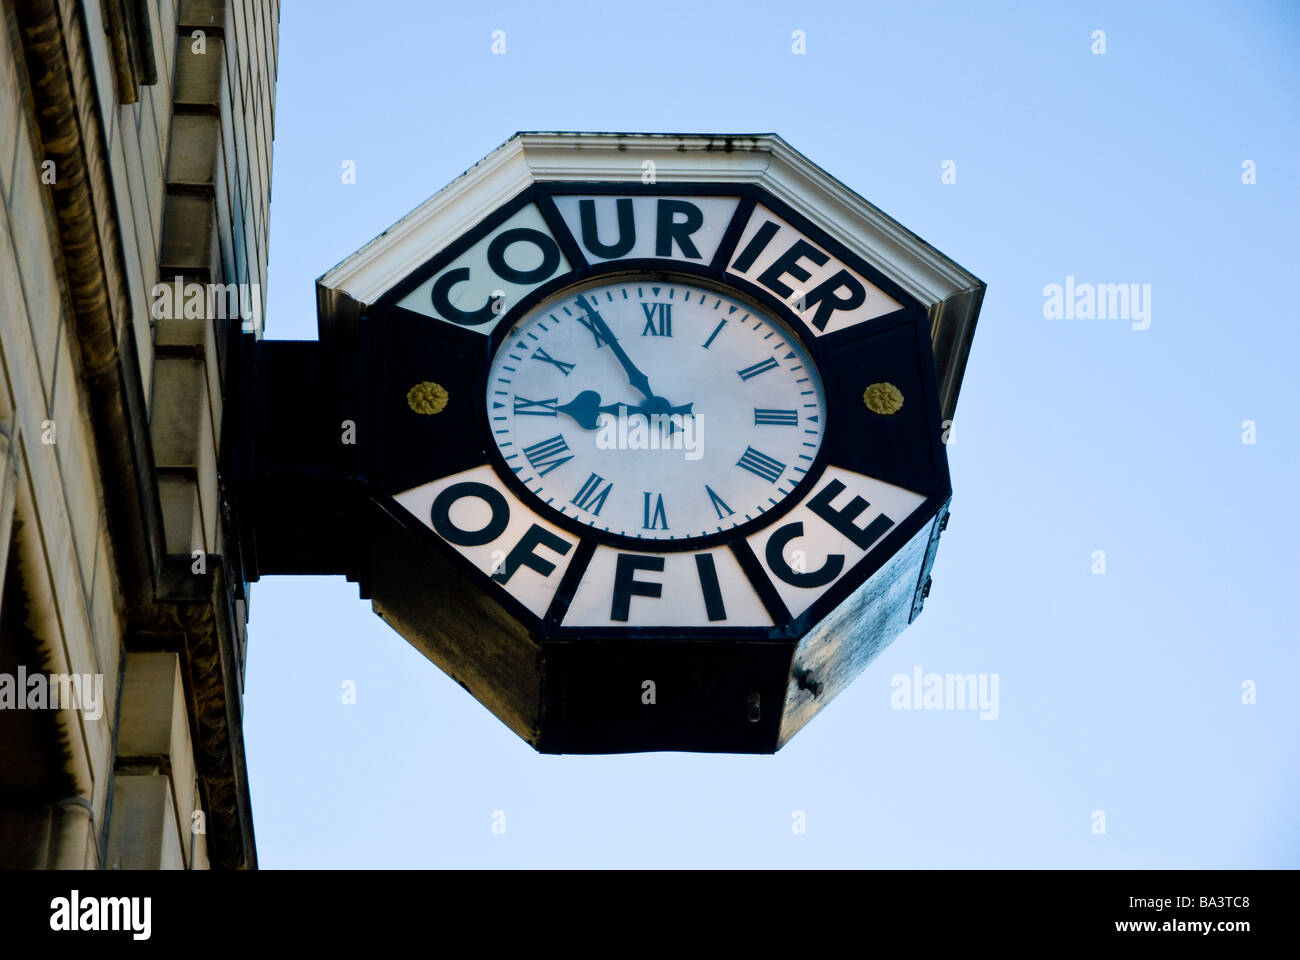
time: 8:53
